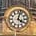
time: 4:02
